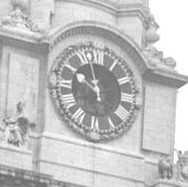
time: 9:57
